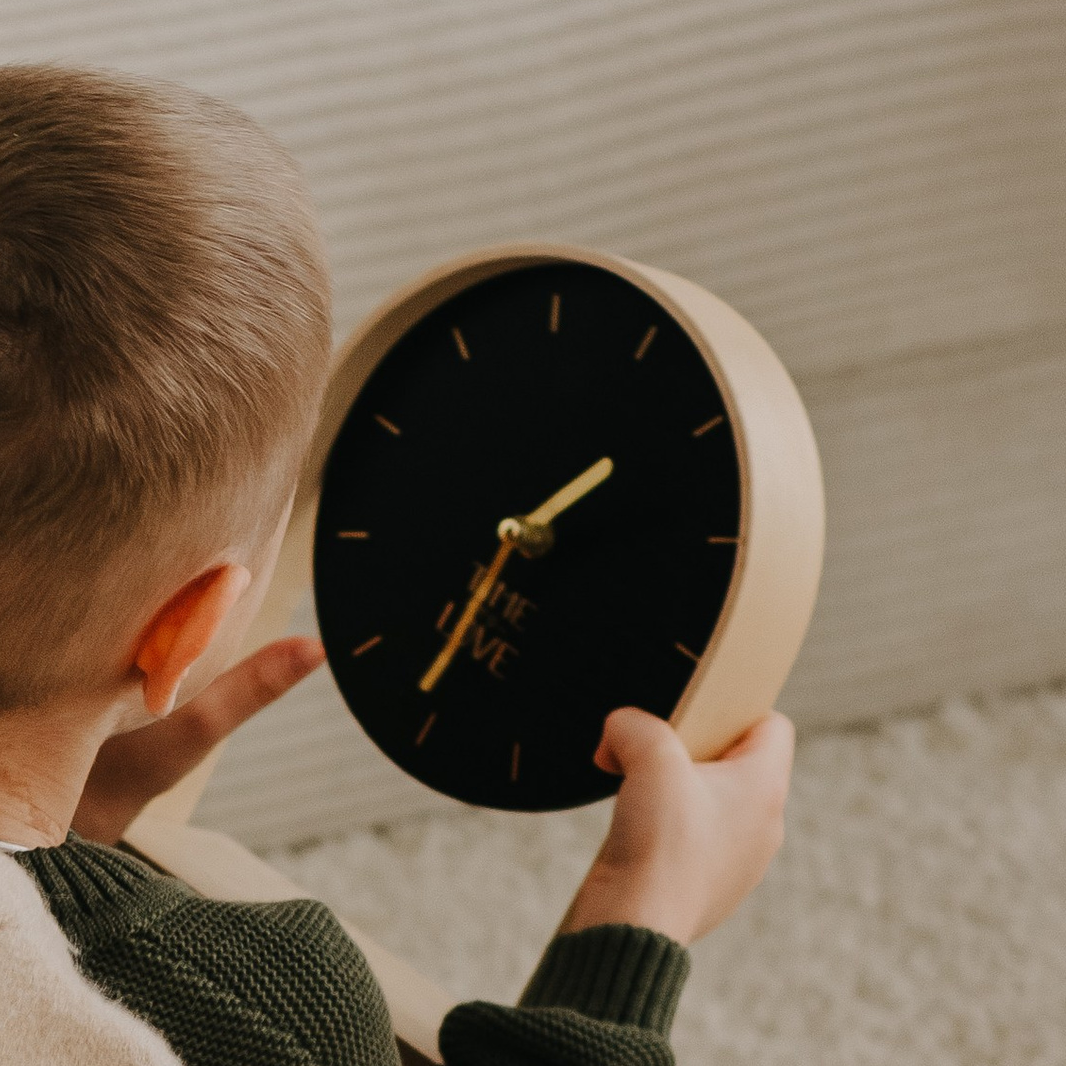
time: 1:36
